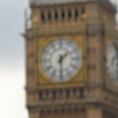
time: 1:30
